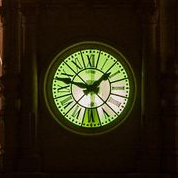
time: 1:47
